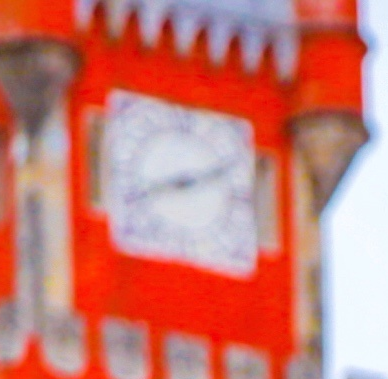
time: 8:11
